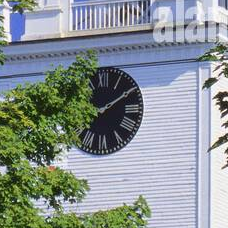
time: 8:09
